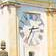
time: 2:34
